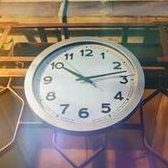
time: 10:12
